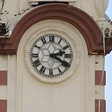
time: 2:19
